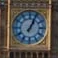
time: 1:04
